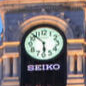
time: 5:52
